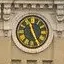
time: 11:24
